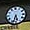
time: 5:33
